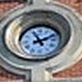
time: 11:10
